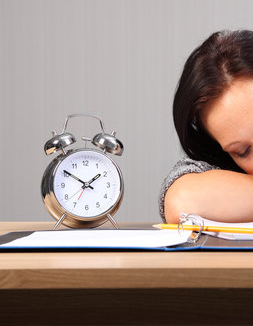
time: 1:50
